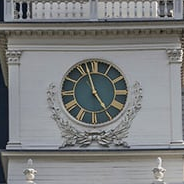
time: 4:57
